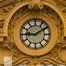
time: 9:09
